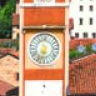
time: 6:32
